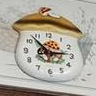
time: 2:53
